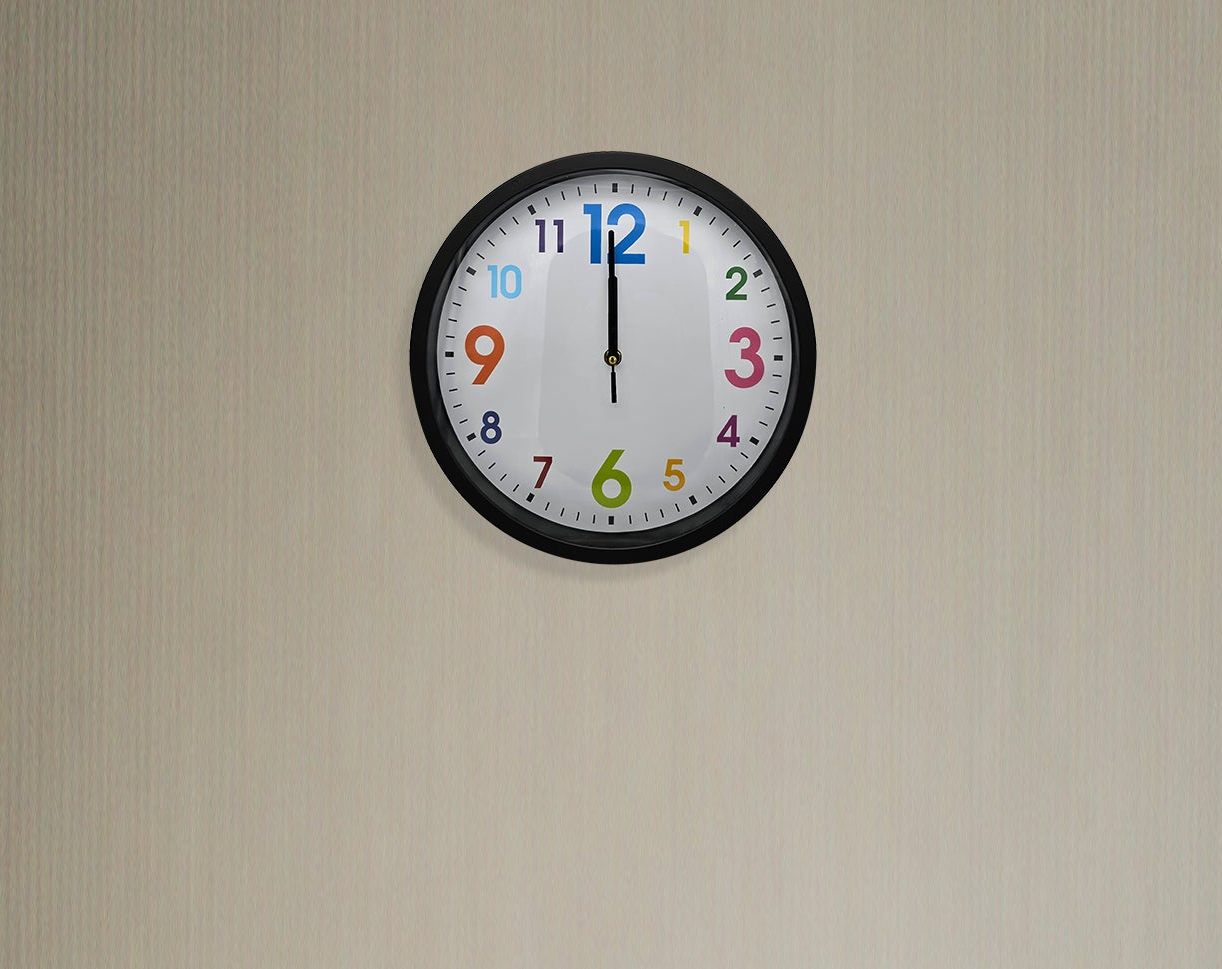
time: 11:59
